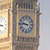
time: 9:45
